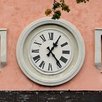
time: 1:23
